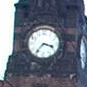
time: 3:36
